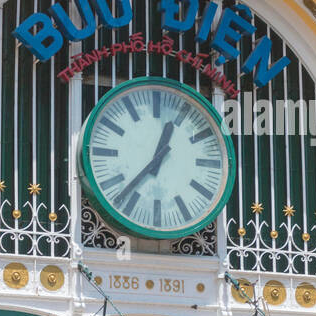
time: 12:37
